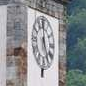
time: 4:59
